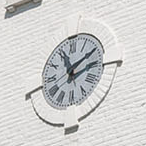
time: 11:10
